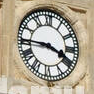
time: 3:45
